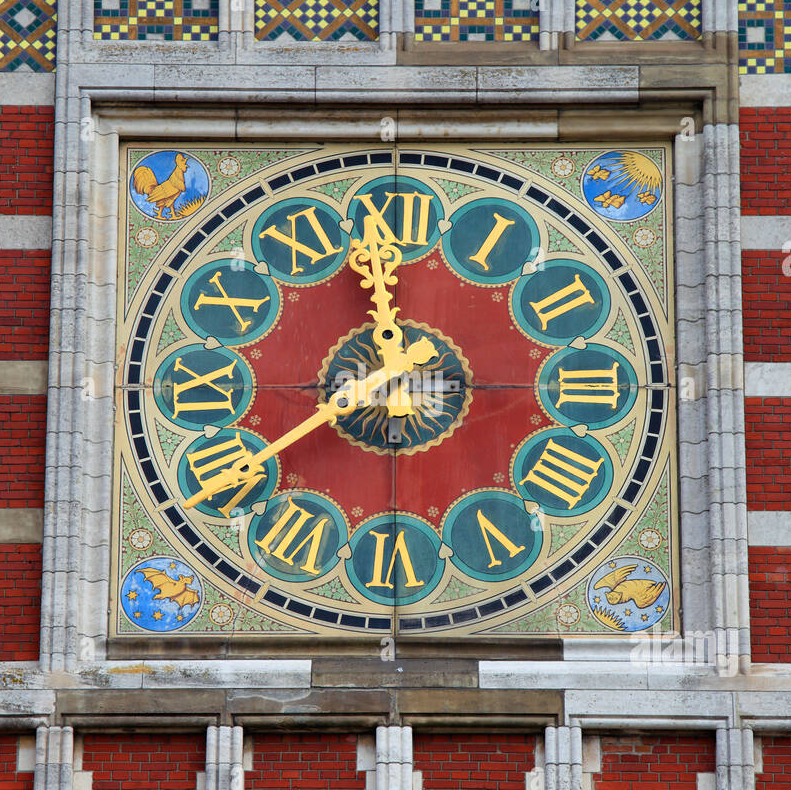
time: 11:39
